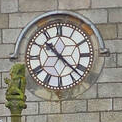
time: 10:22
